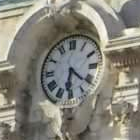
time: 6:21
